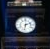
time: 2:32
